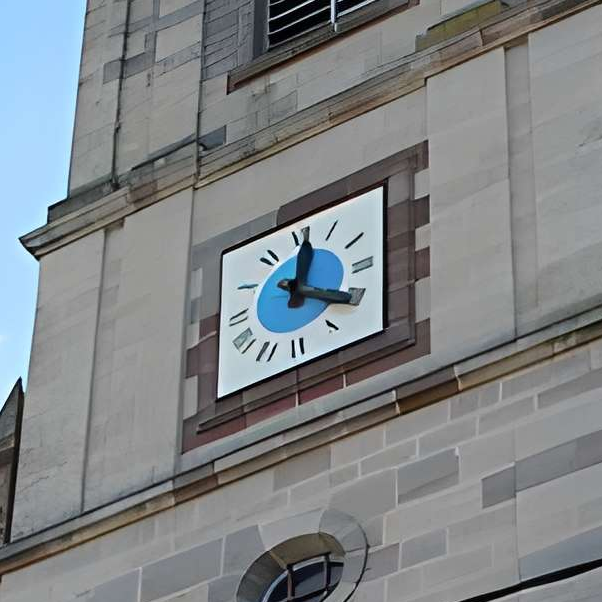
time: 12:20
